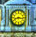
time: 8:16
